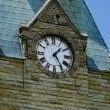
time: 1:24
